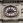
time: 8:16
